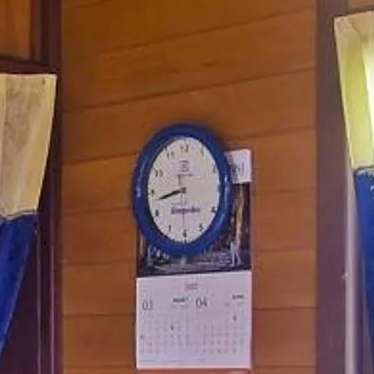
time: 8:42
